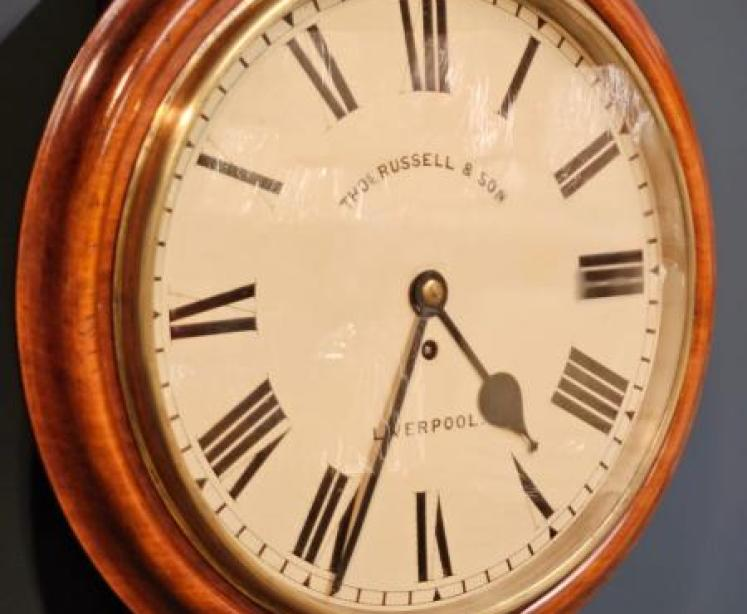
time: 4:33
